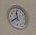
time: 11:39
